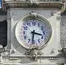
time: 3:31
